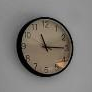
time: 11:14
